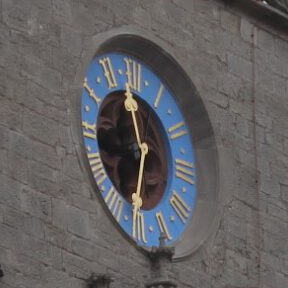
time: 11:33
